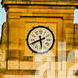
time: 5:41
